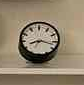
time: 8:17
